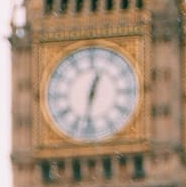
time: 12:32
